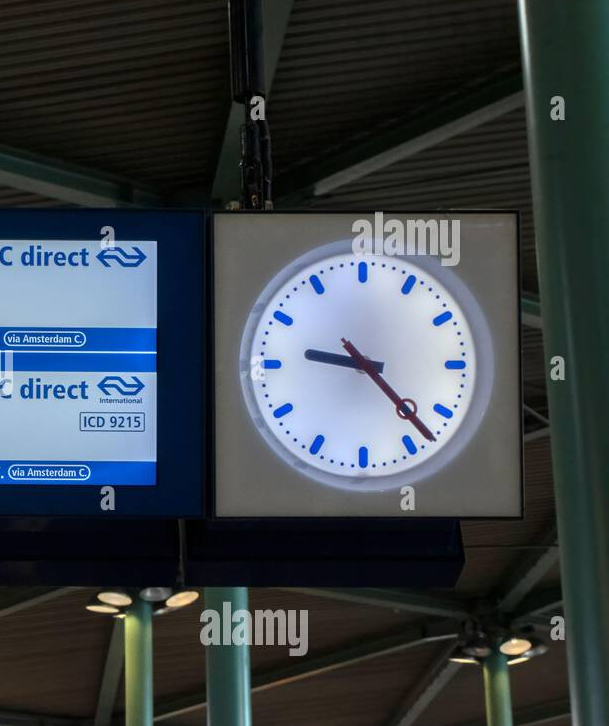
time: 9:22
